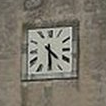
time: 4:29
